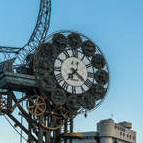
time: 7:22
